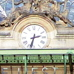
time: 2:32
